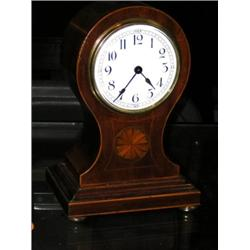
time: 4:36
